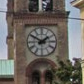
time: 1:50
